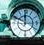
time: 11:48
